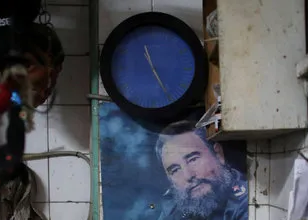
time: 11:25
